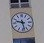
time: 9:28
